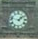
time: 1:47
